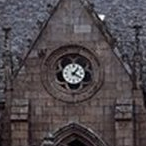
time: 1:20
